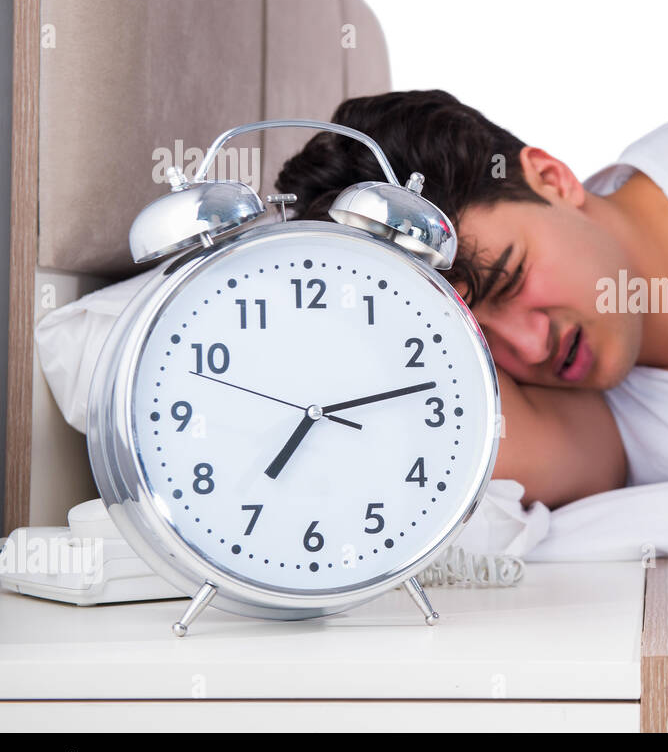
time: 7:13
